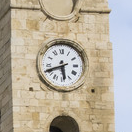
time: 5:41
